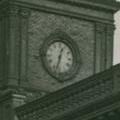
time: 12:32
